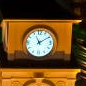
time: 11:09
